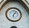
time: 6:06
